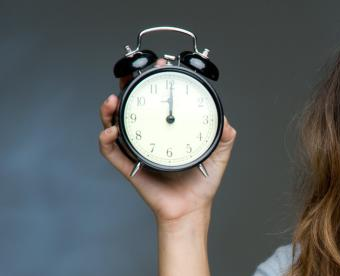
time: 12:00
